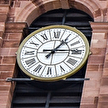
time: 1:14
